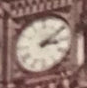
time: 3:09
